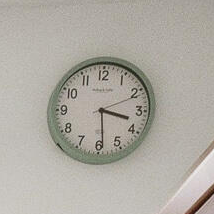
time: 3:29
